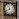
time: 11:40
